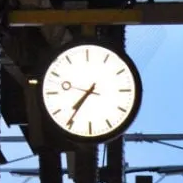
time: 7:36
